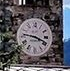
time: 3:46
